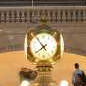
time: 7:53
